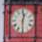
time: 12:30
